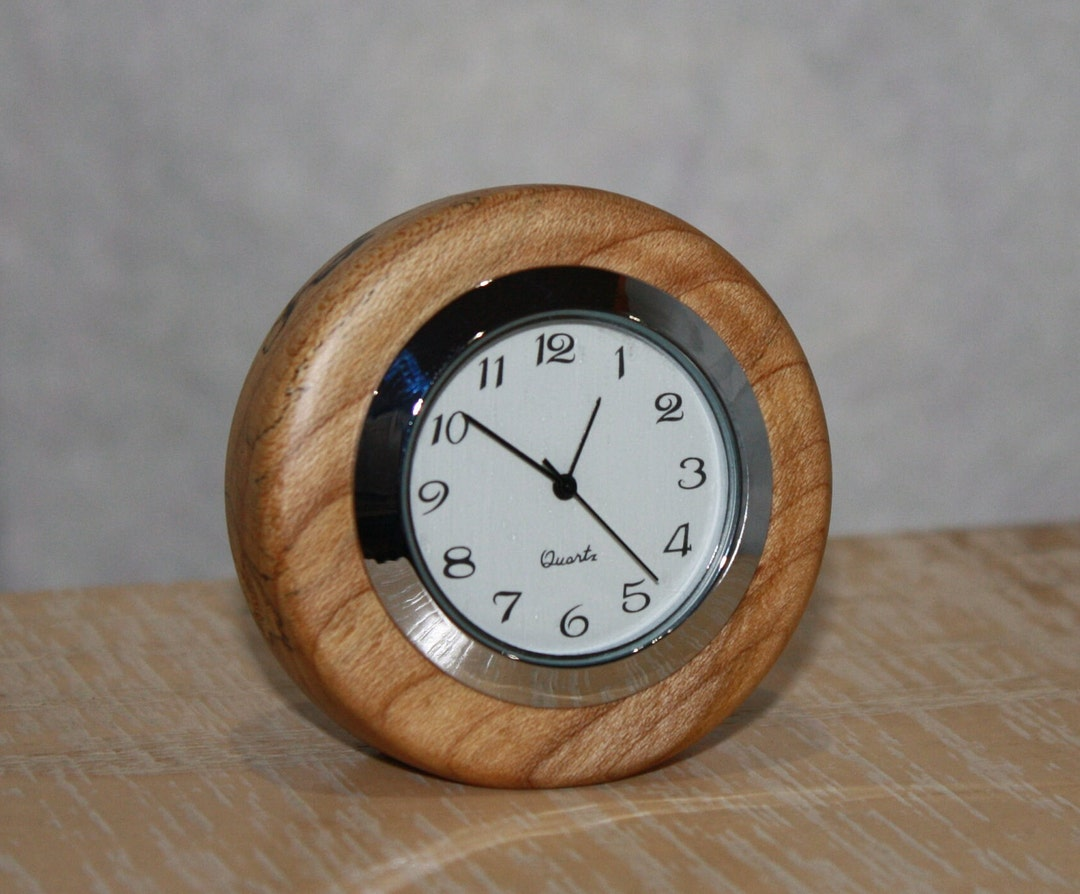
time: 12:51
